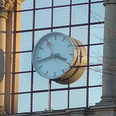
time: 3:42
